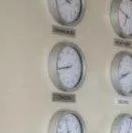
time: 8:43
